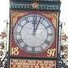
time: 12:03
